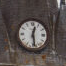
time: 12:28
